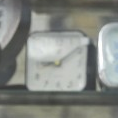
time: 9:08
